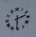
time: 2:30
